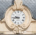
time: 9:43
